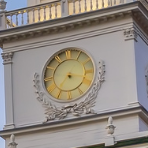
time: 7:17
